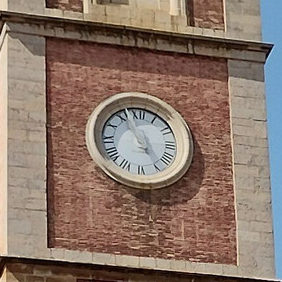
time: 4:56
